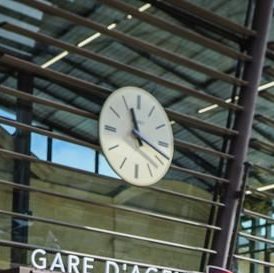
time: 11:18
